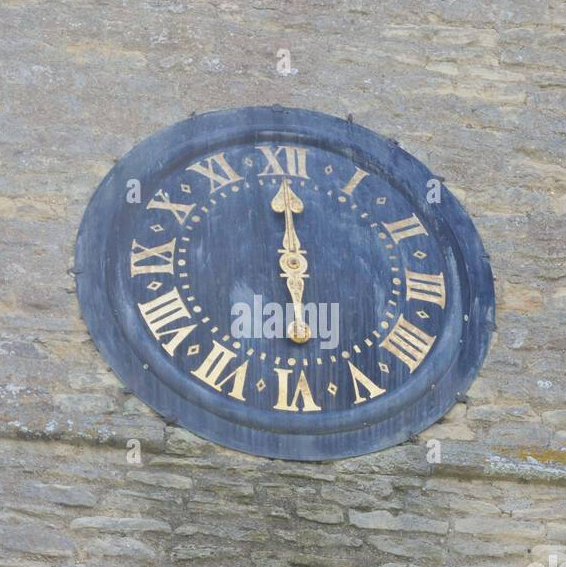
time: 11:59
